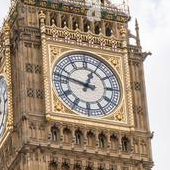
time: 12:47
